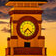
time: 7:22
